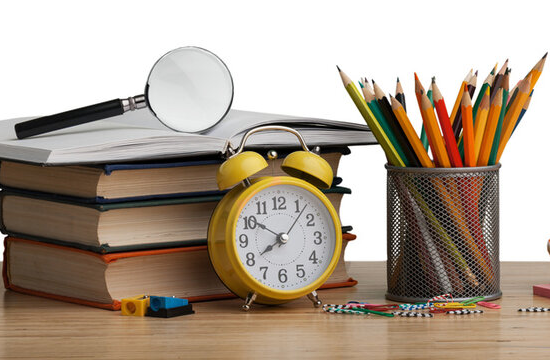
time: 7:50
